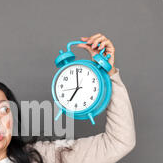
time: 6:58
